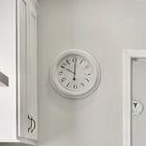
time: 10:00
